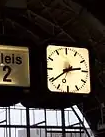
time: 2:39
